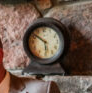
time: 5:51
